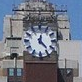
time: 12:22
